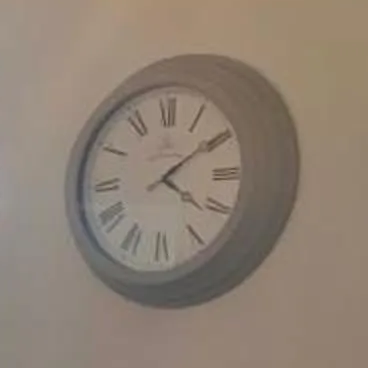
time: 4:09
